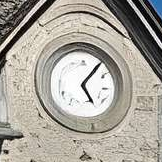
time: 5:06
